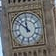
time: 11:51
